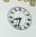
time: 8:32
